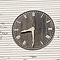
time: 8:29
